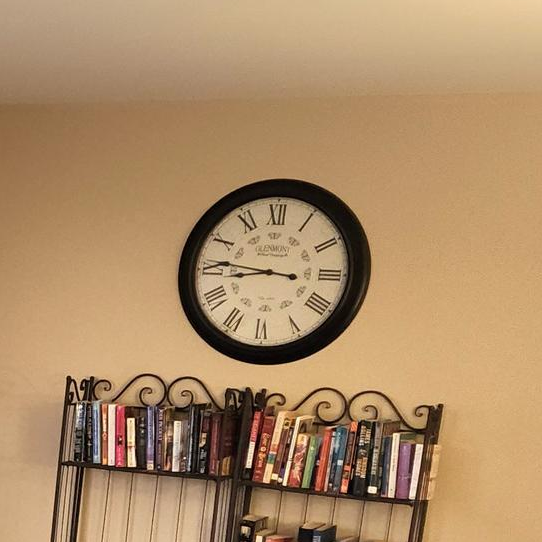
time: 8:46
